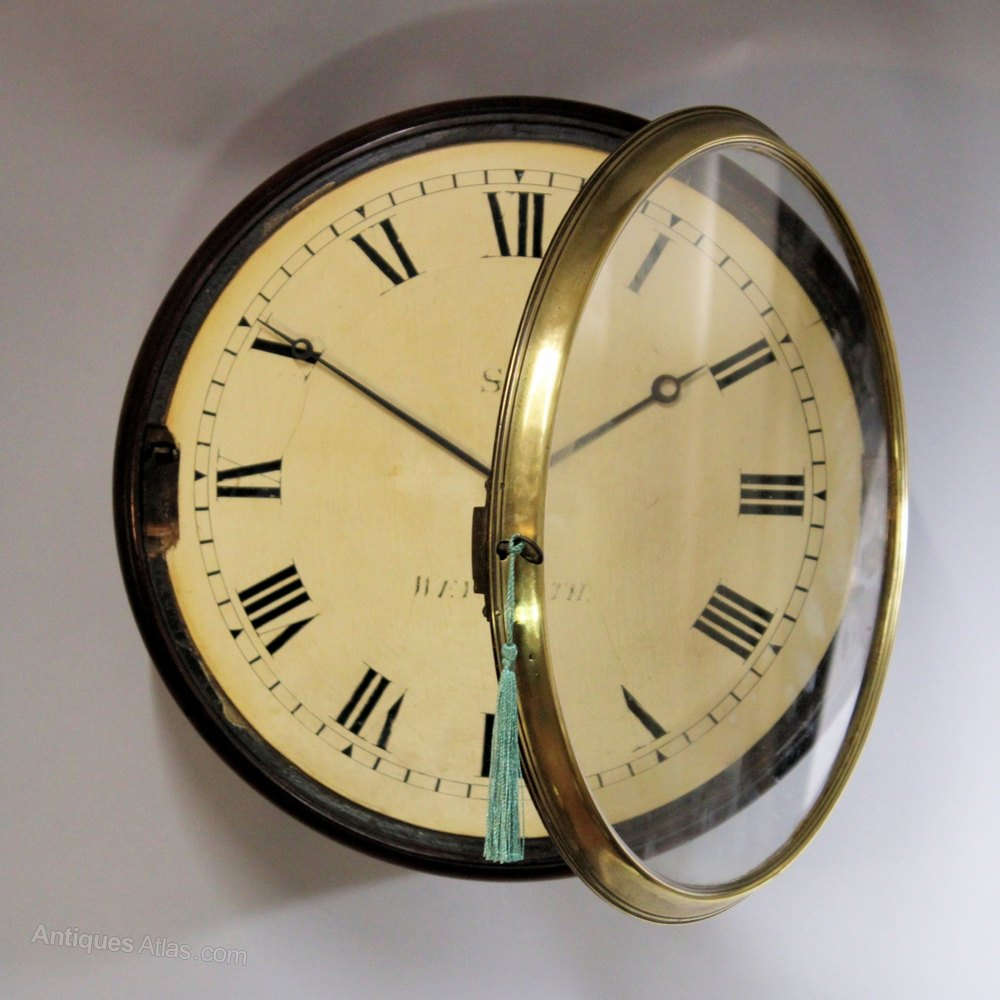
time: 12:28
